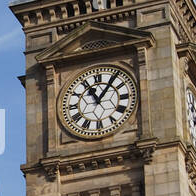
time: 11:06
